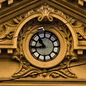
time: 10:43
